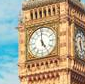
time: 4:59
